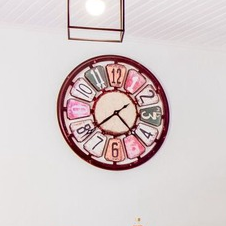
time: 4:39
